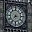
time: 7:15
